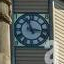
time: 11:16
